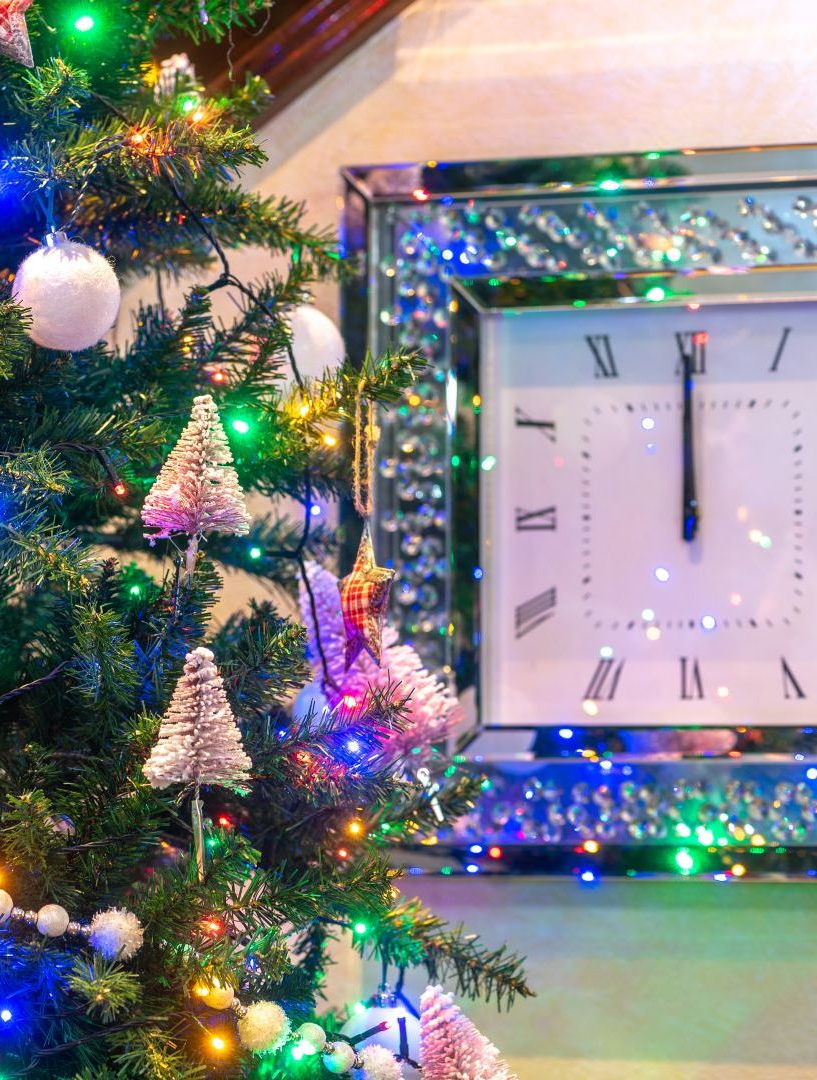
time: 11:59
